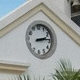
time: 2:13
